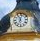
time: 11:02
